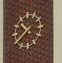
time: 10:37
